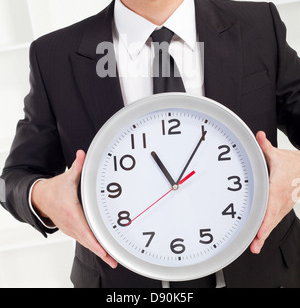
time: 11:05
